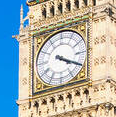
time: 4:19
